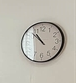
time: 10:52
